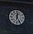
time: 12:24
